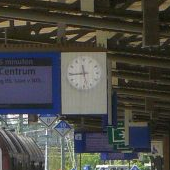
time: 11:44
